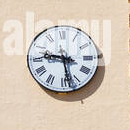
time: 9:28
